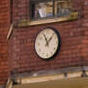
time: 11:07
